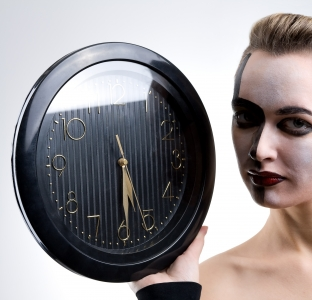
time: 5:29
